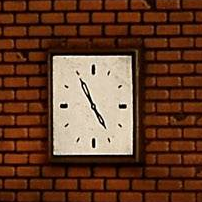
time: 4:54
